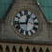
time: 12:43
